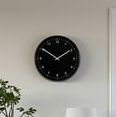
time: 1:50
